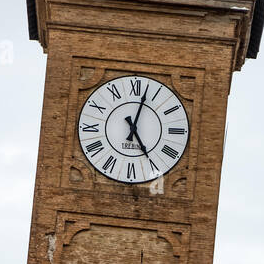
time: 5:02
